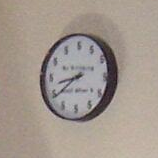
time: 8:39
